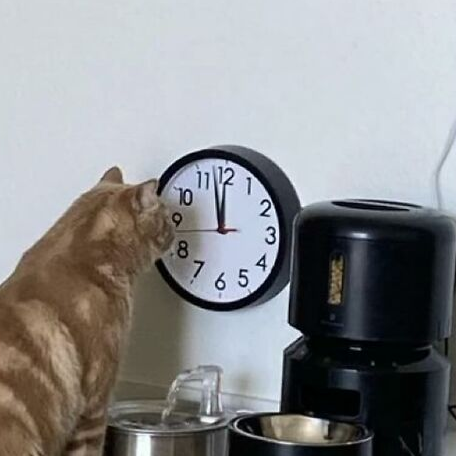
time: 11:57
